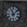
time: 11:07
